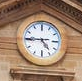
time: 4:45
